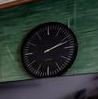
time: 2:11
